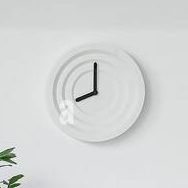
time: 7:59
